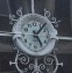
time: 5:06
